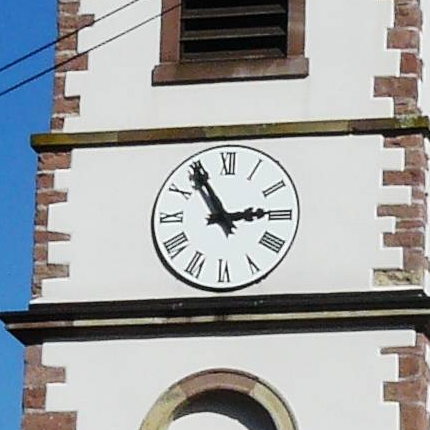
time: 2:54
